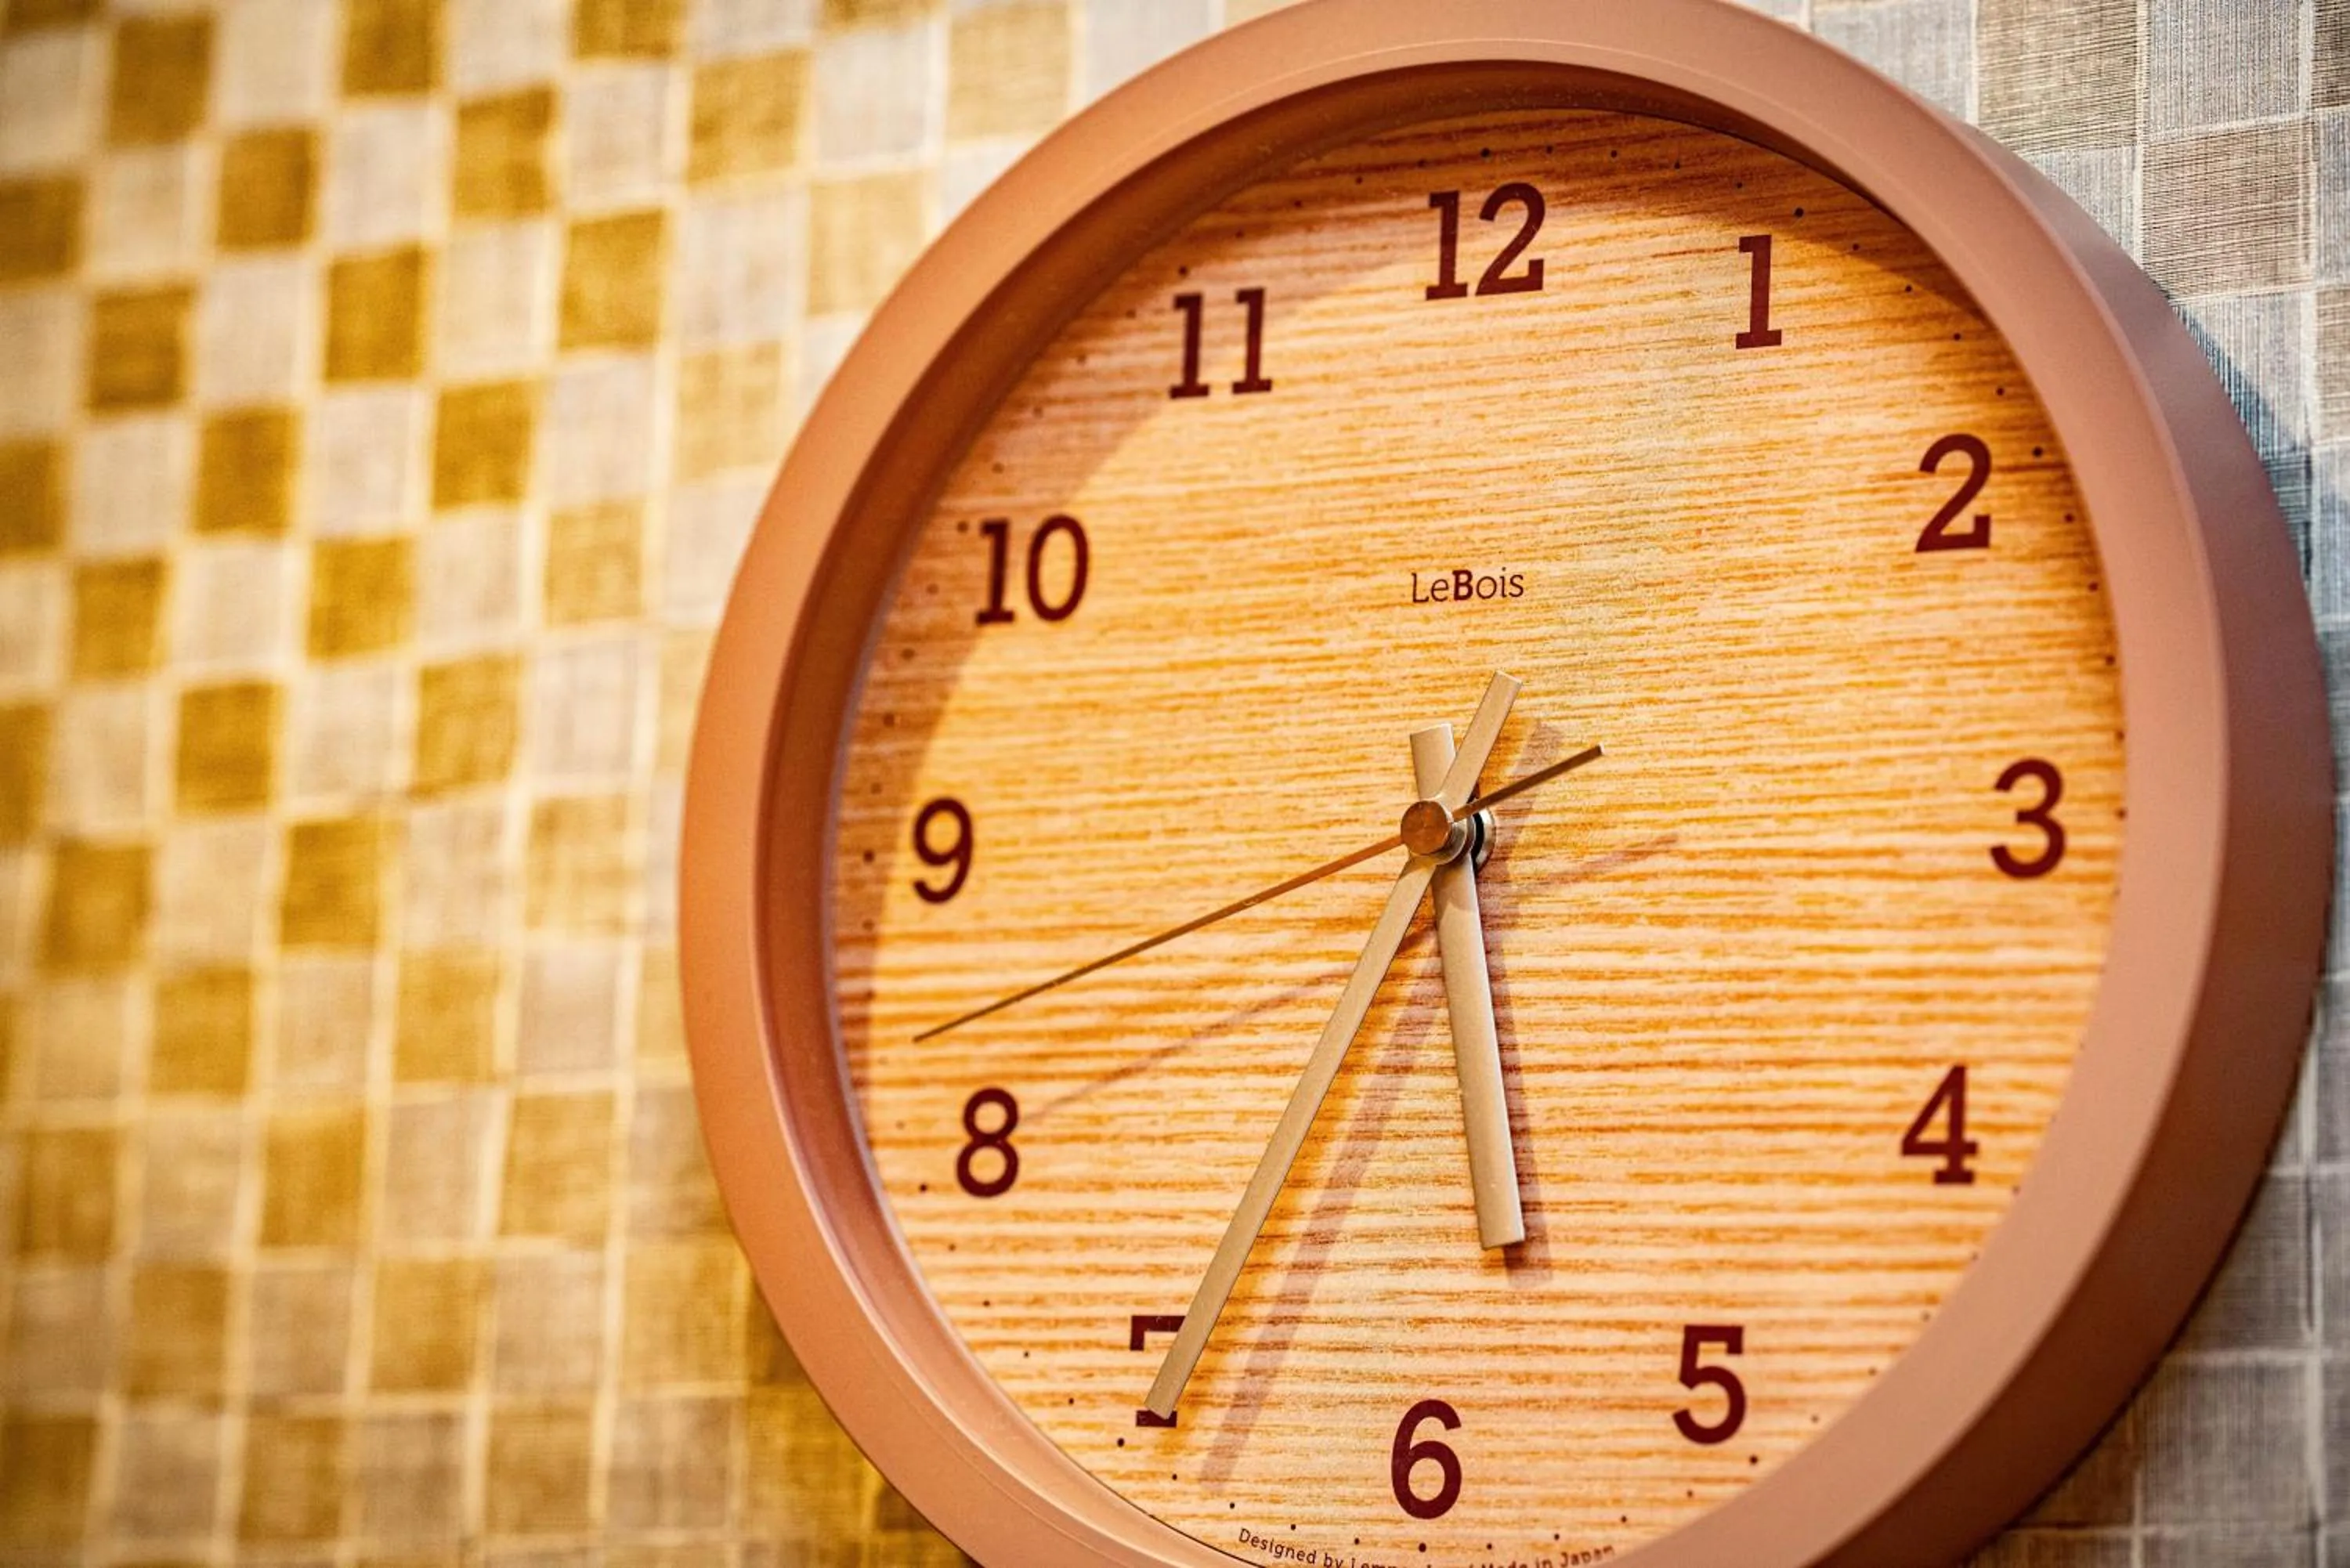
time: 5:34
